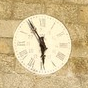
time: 5:54
